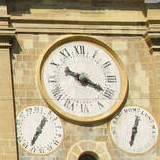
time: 10:19
